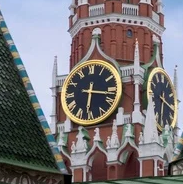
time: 6:17
